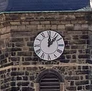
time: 12:07
